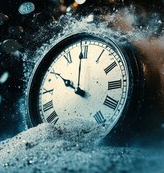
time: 9:59
